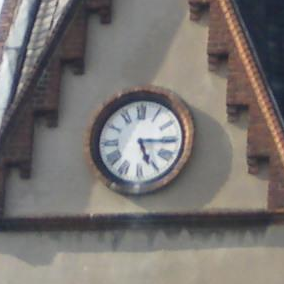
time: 5:15
